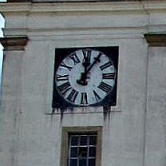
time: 12:05
